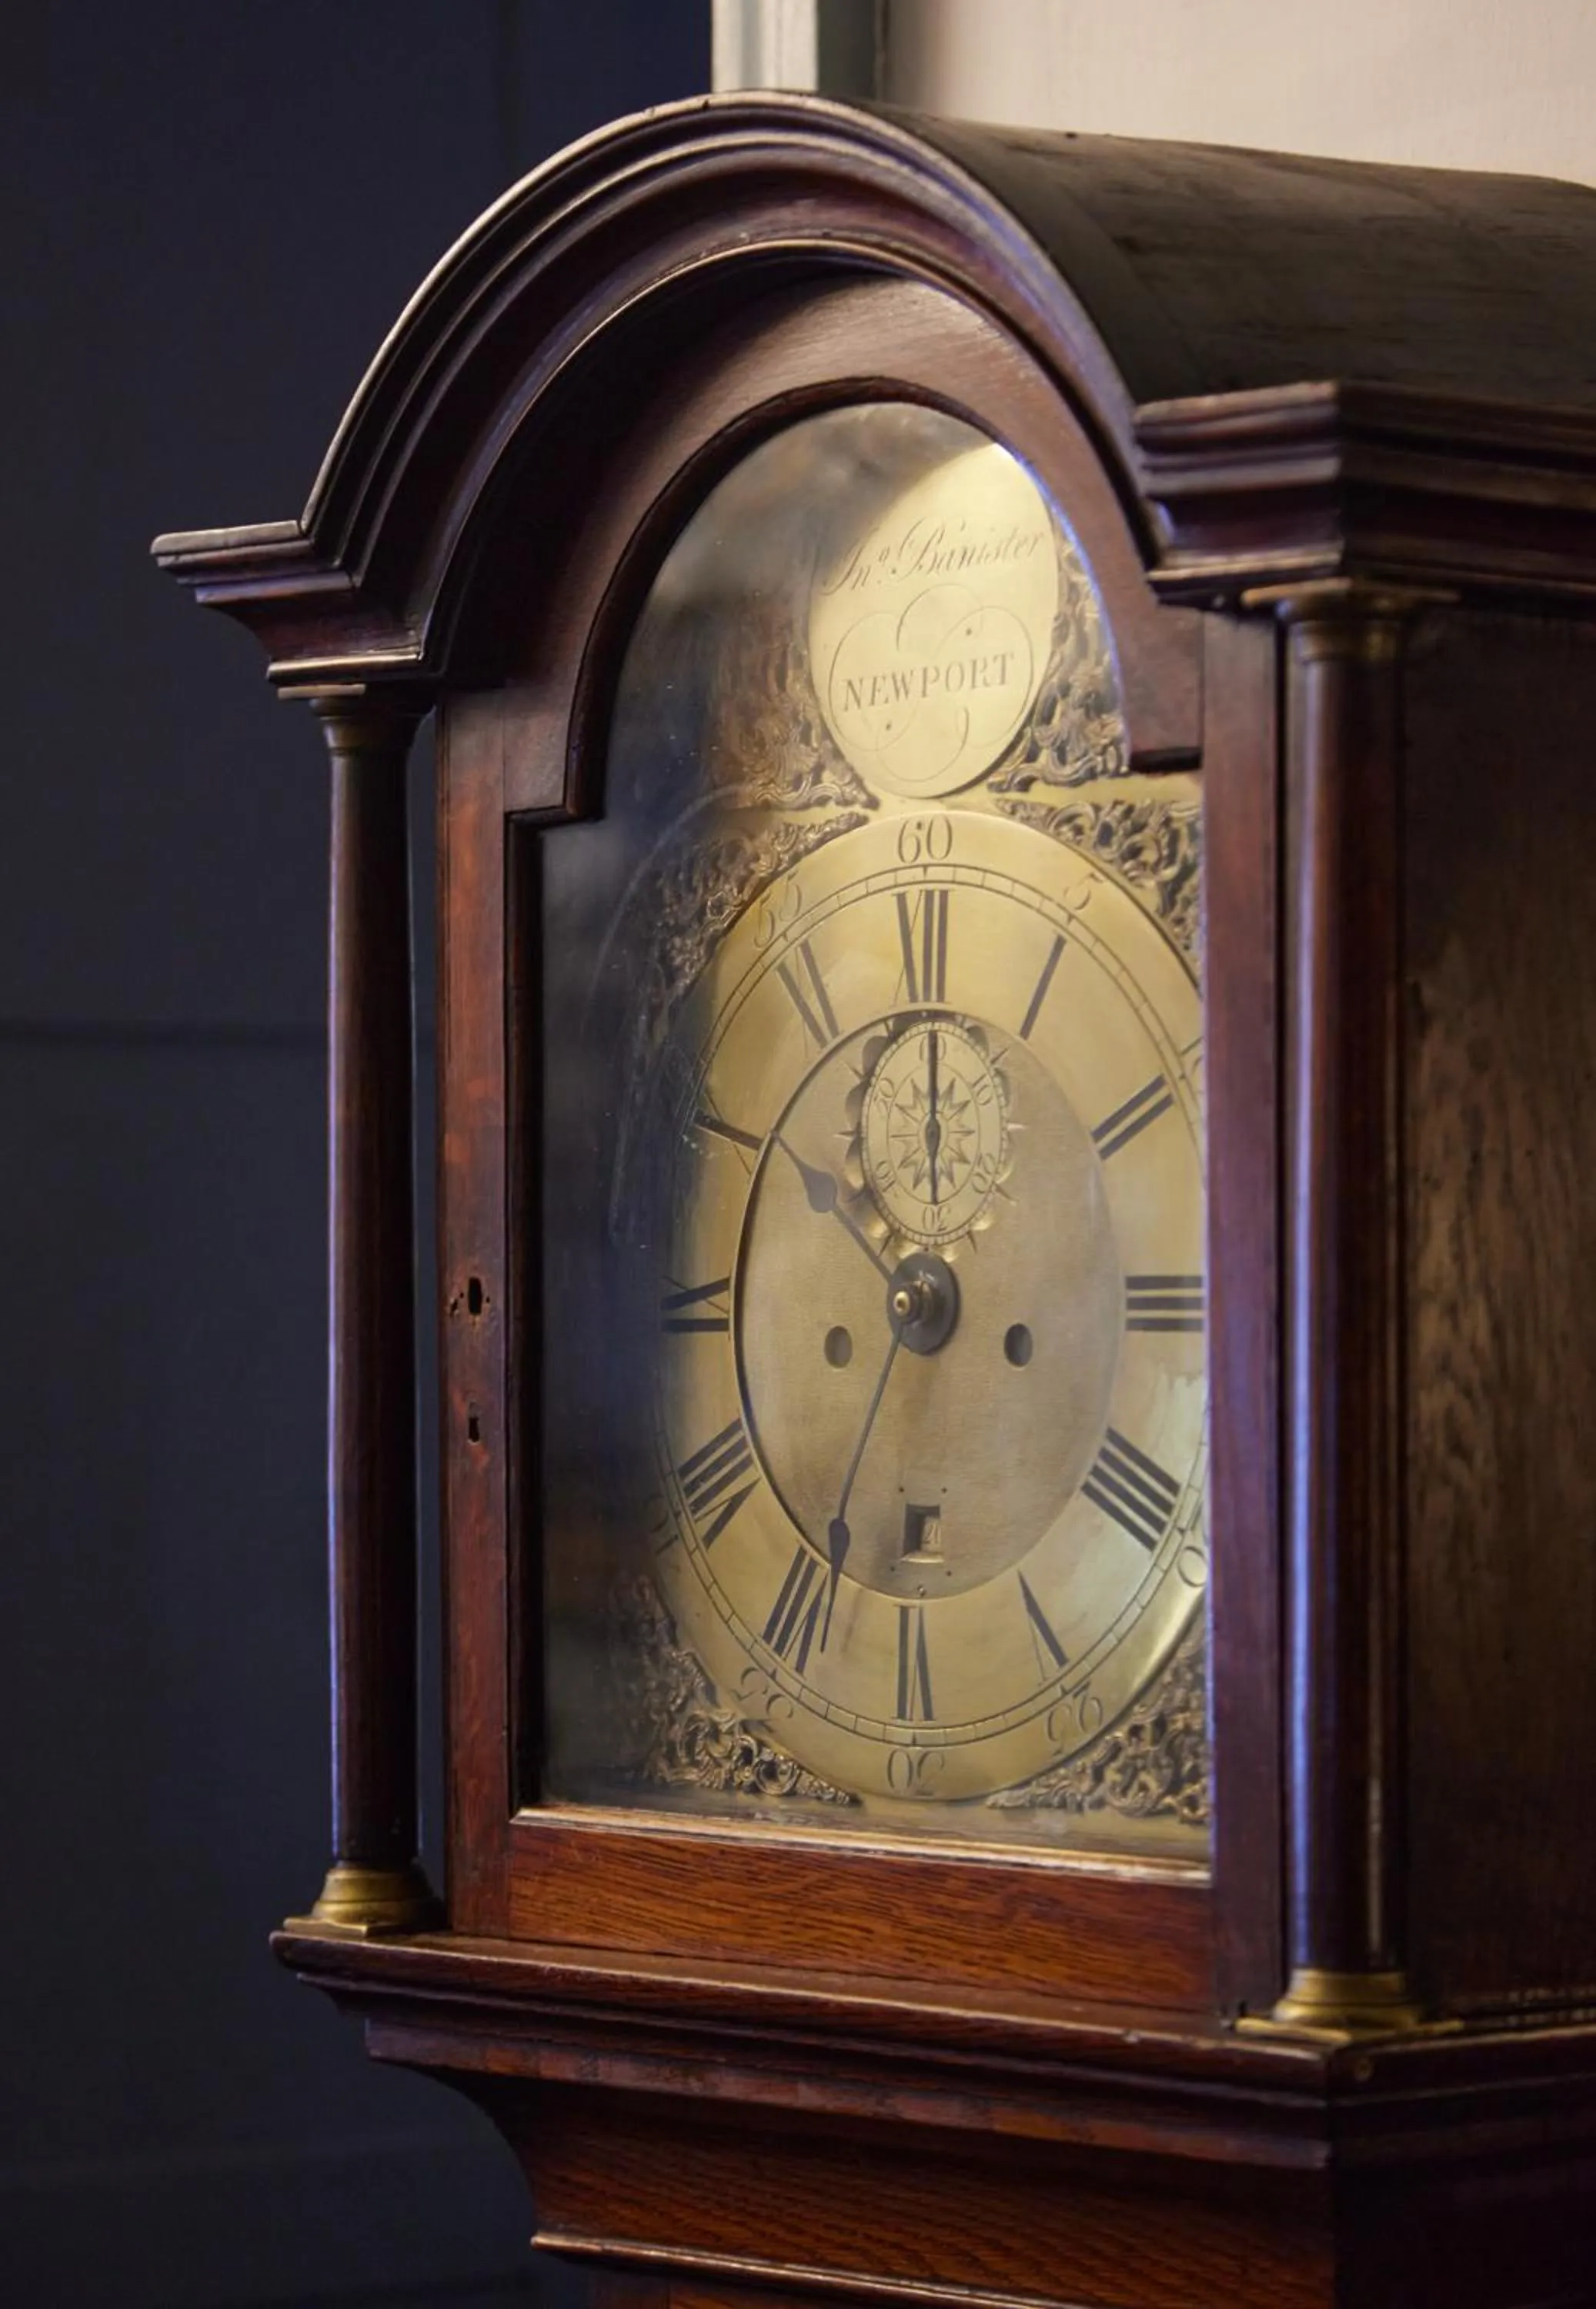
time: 11:35
